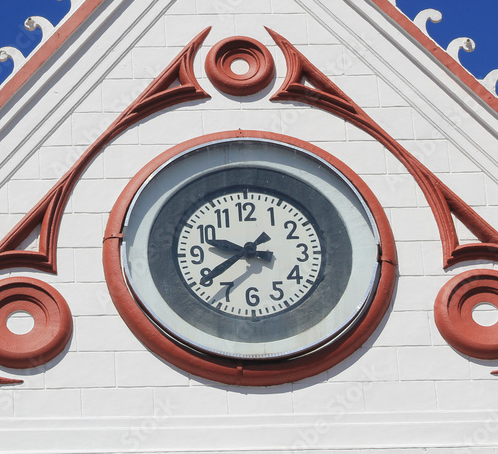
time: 9:38
